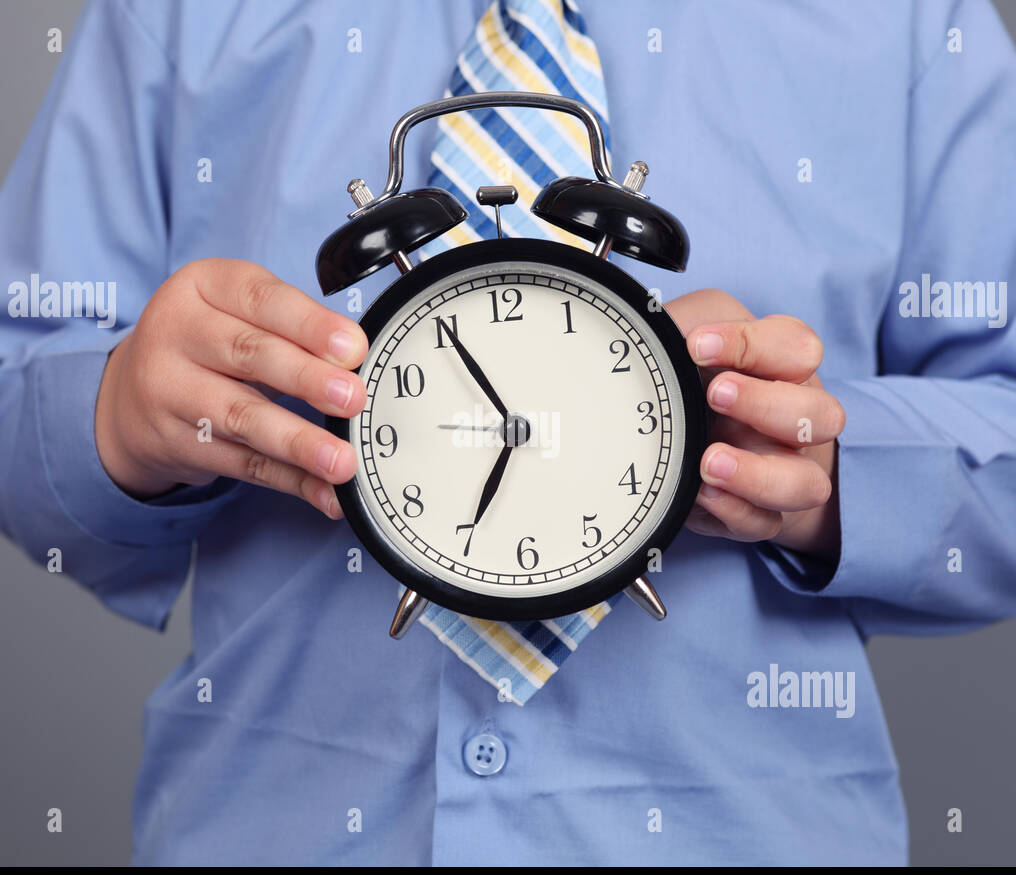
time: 6:55
